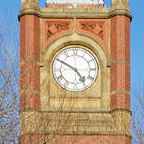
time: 4:49
